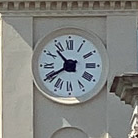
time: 10:39
